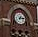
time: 1:13
